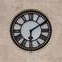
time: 6:09
